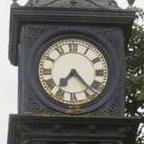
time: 7:22
